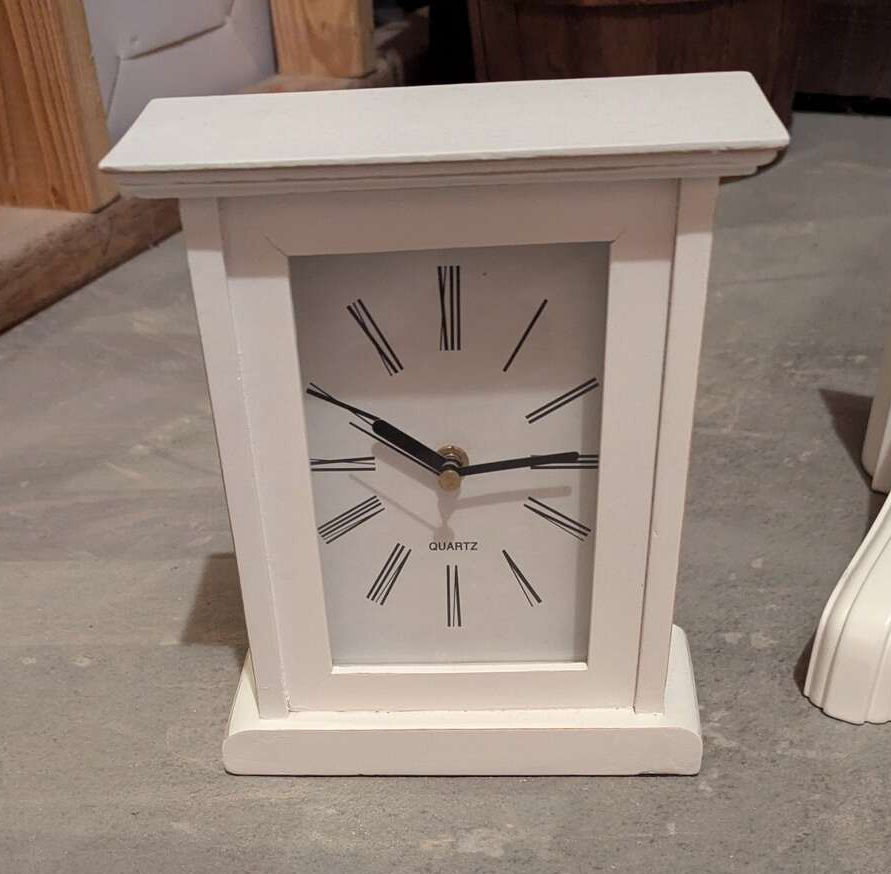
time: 10:14
